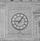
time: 9:05
